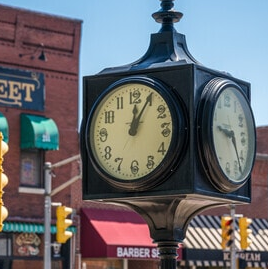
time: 12:05
